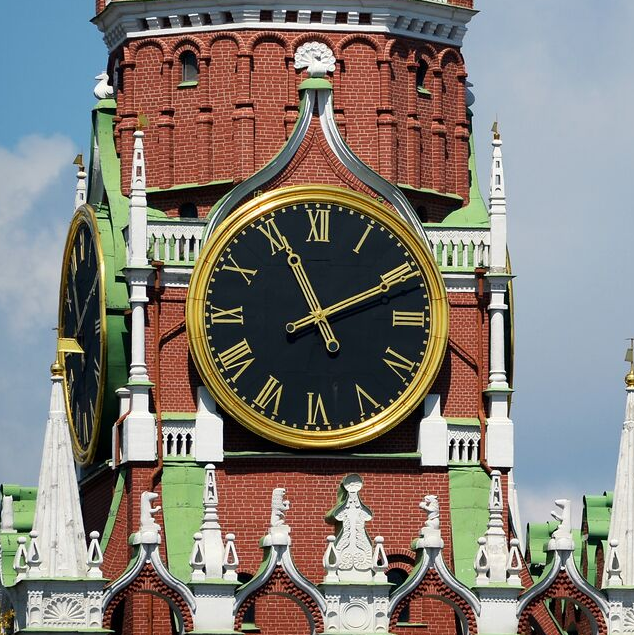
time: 11:10
